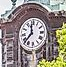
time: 11:37
